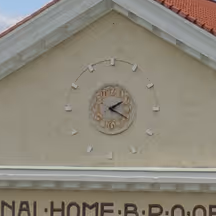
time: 2:19
